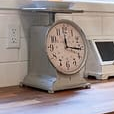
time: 12:16
